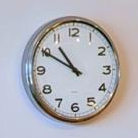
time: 10:49
